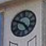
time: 4:49
